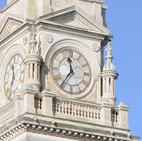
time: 11:36
